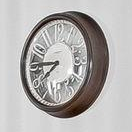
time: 7:45
